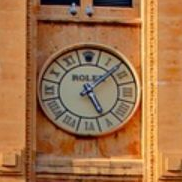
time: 5:08
